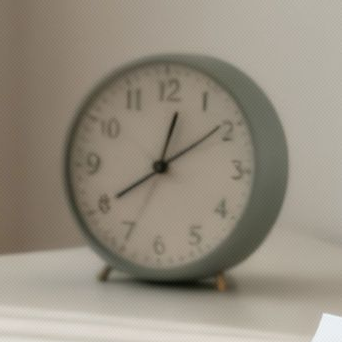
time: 12:09
